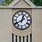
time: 12:40
